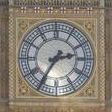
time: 2:35
